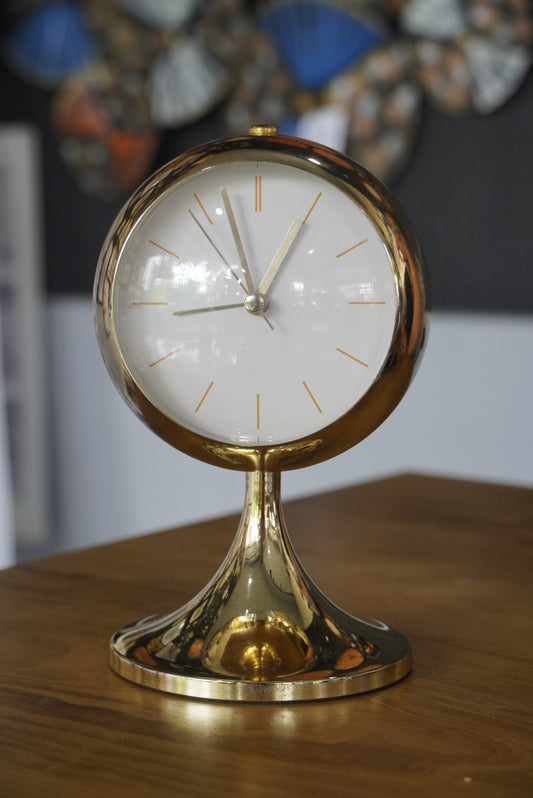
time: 8:56
